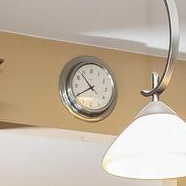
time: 10:40
